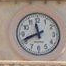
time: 11:41
